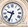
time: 9:34
